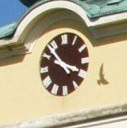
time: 3:53
